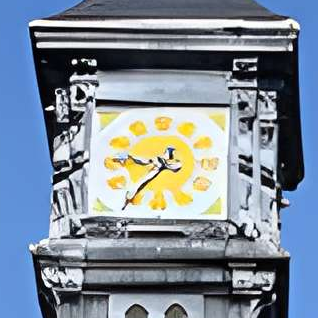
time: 9:36
